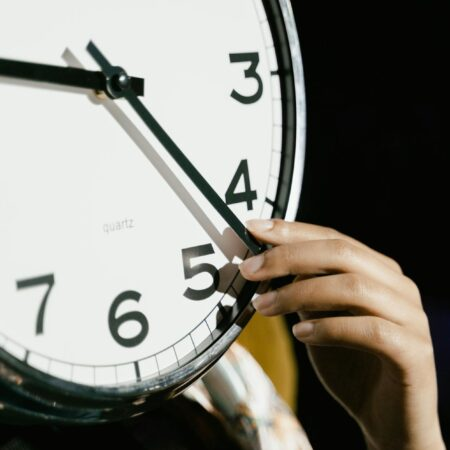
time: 9:22
